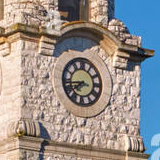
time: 7:43
